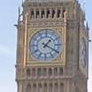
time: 1:19
